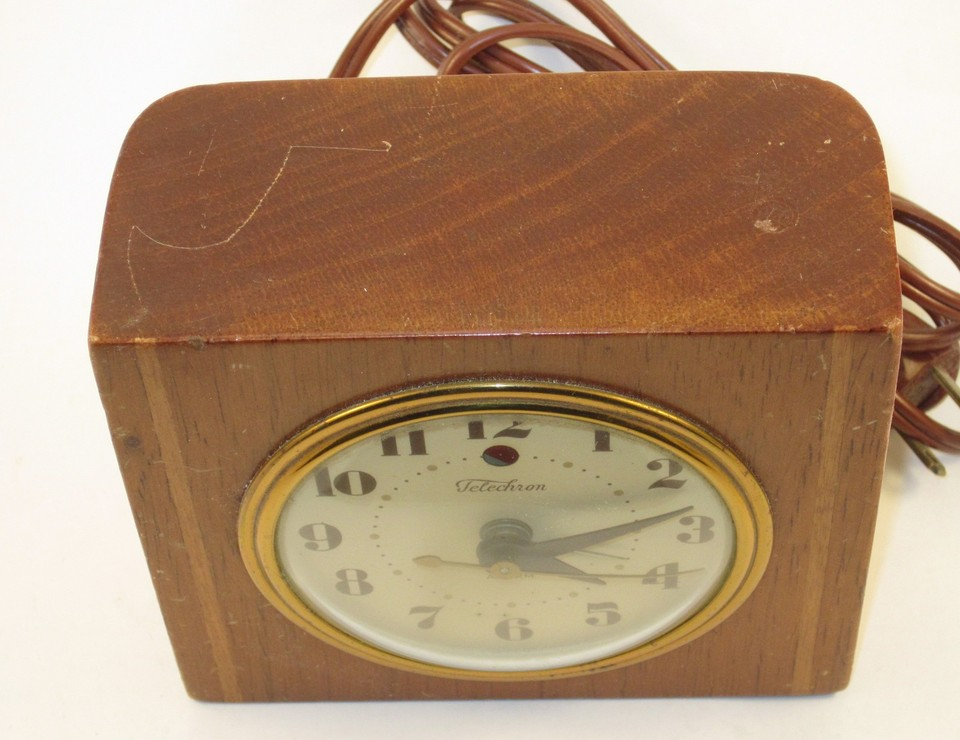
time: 4:12
